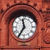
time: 11:35
